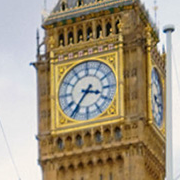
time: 3:36
